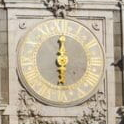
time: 12:28
